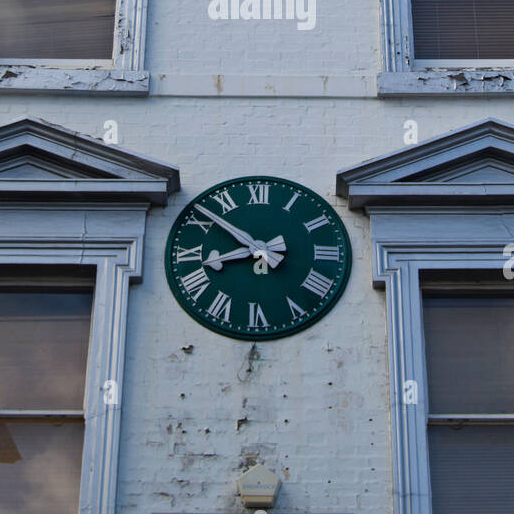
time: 8:51
